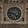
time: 4:46
